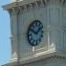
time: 1:50
